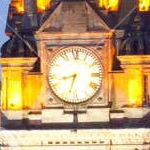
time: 8:33
